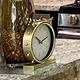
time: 10:12
